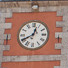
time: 12:40
